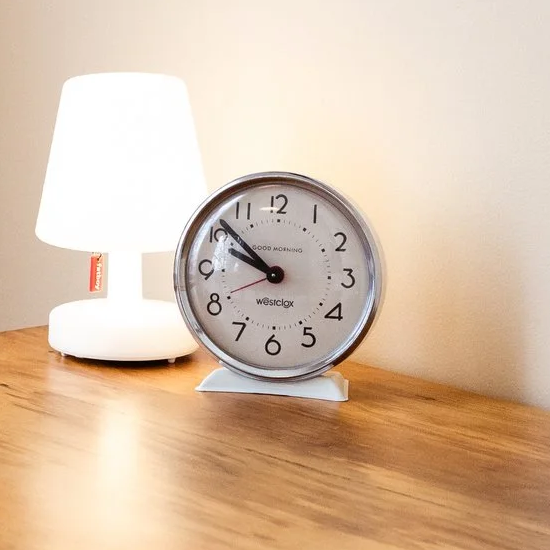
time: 9:51
